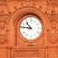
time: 10:46
